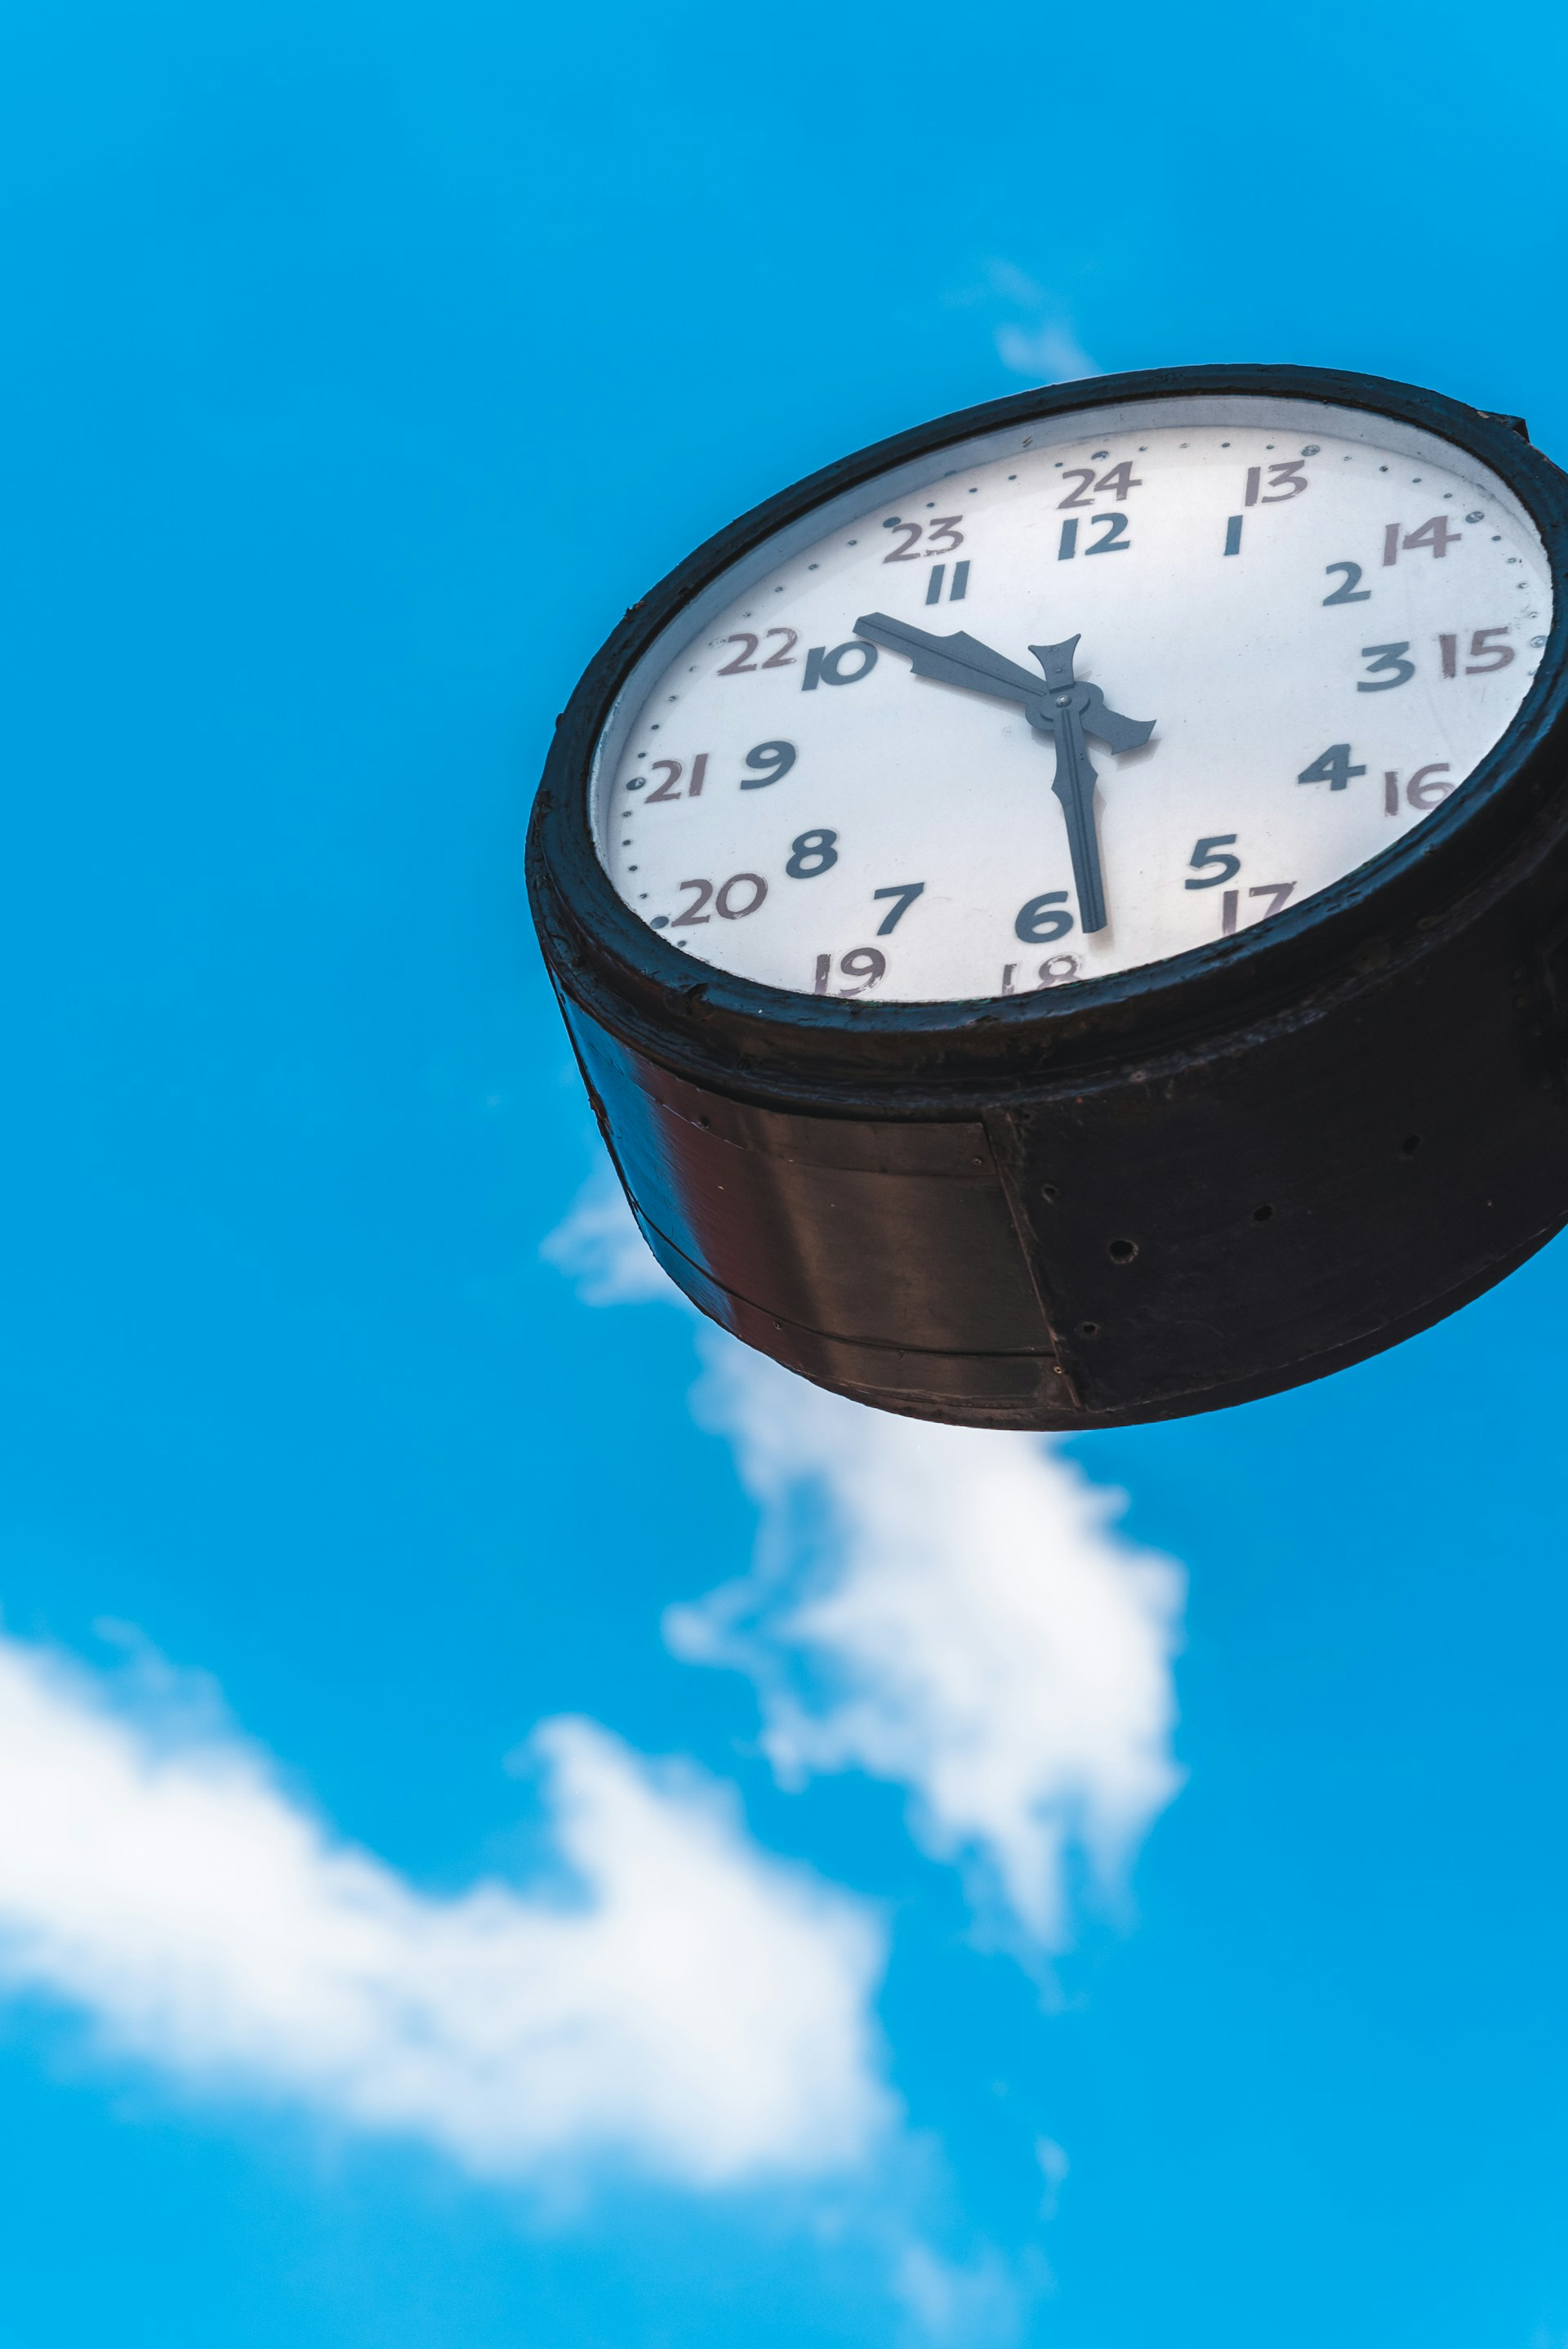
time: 10:28
